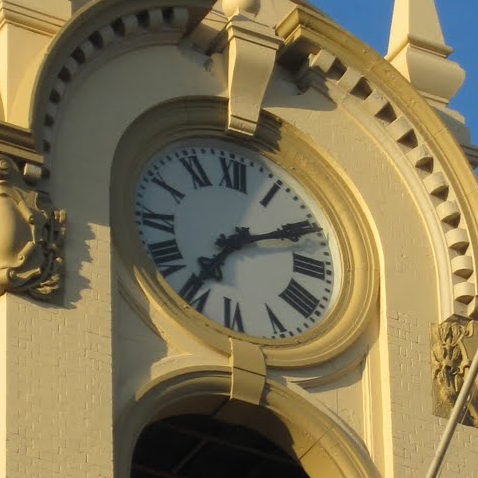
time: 7:10
